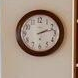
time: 2:12
